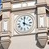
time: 4:00
